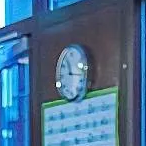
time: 11:16
